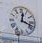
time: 12:18
